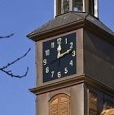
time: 12:12
